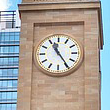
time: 11:24
